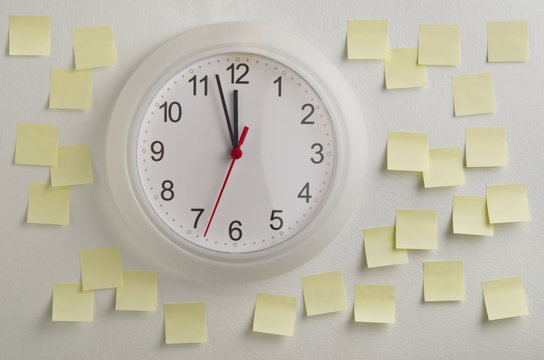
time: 11:57
